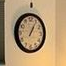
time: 1:05
